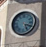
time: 5:18
